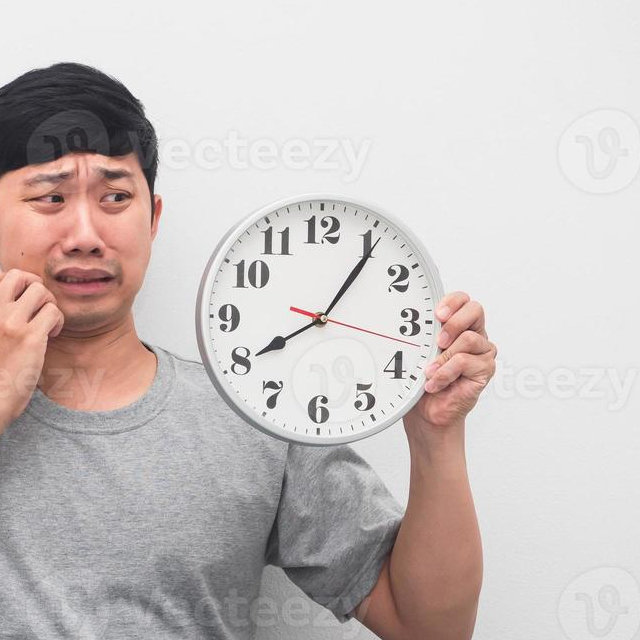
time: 8:05
